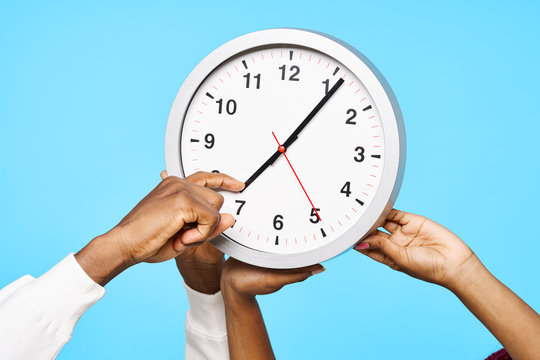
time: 7:06
